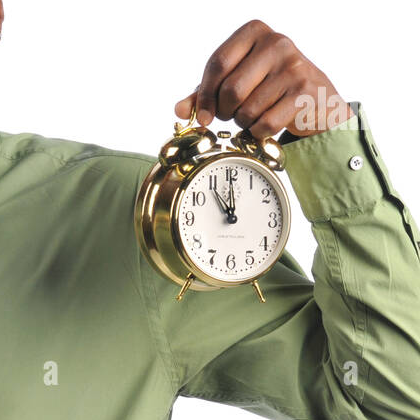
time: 11:00
